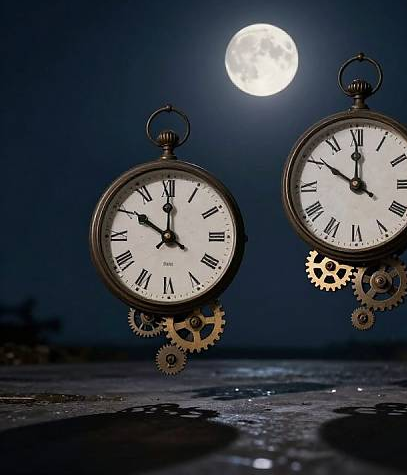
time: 10:00
